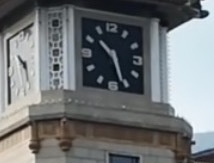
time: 10:26
